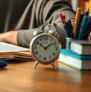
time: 1:51
